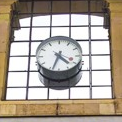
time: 4:33
